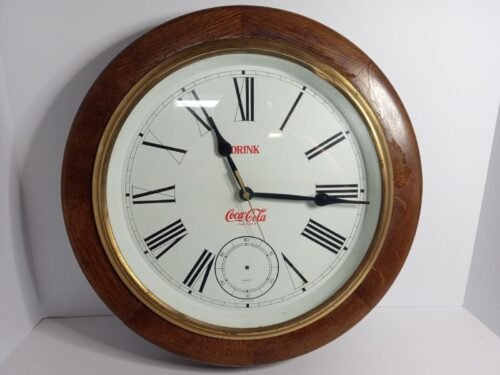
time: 11:15
